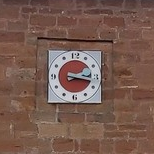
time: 2:17
